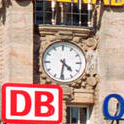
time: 4:31
